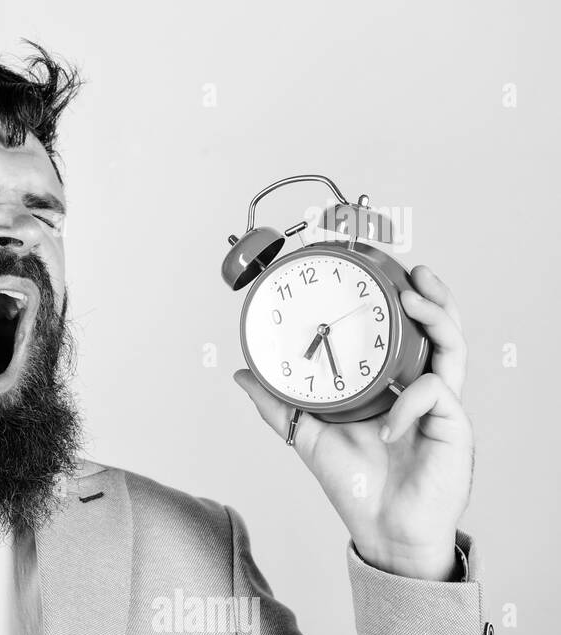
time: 7:30
